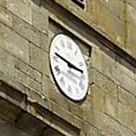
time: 2:46
